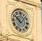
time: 10:07
